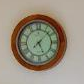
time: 5:07
